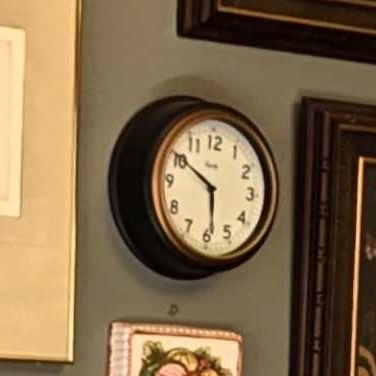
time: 5:50
